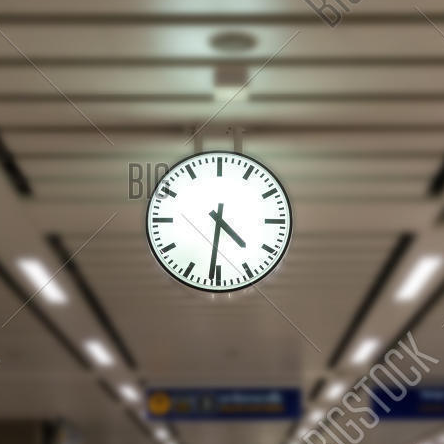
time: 4:31
